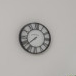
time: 7:37
